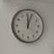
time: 12:03
